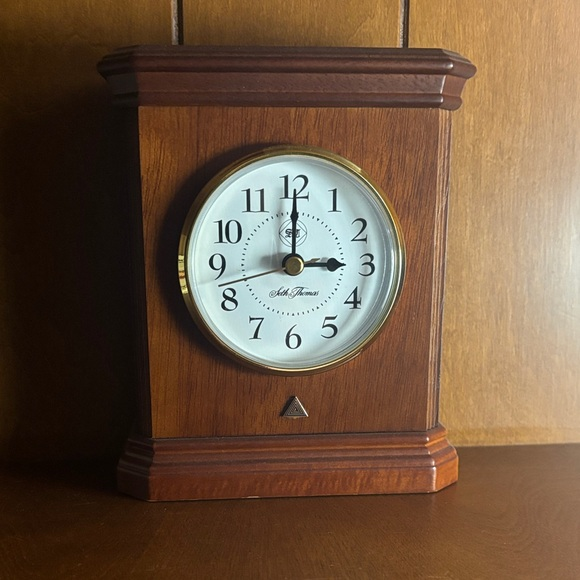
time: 3:00
